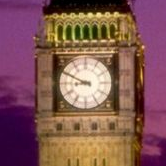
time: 8:49
